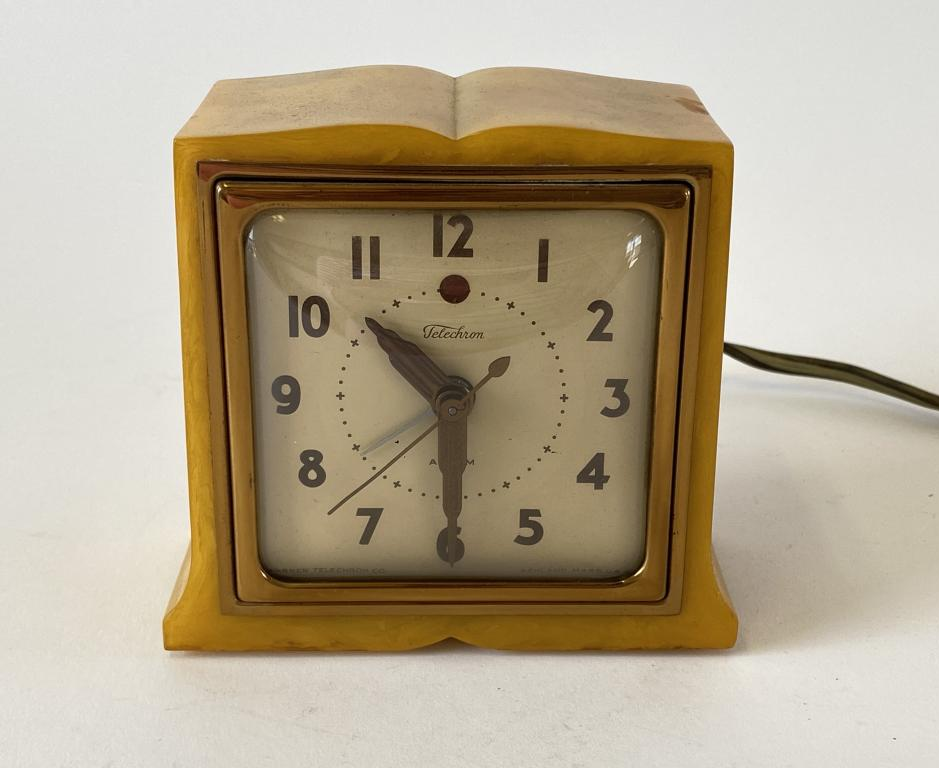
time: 10:29
